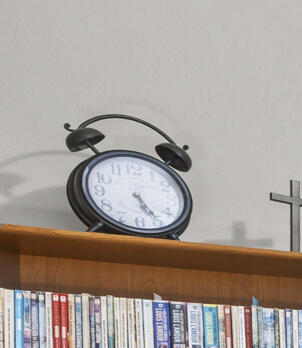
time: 5:24
